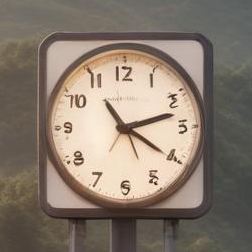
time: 4:12
